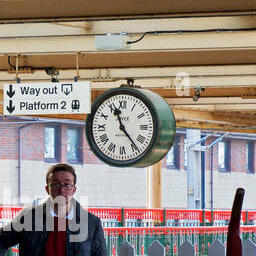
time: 11:23
